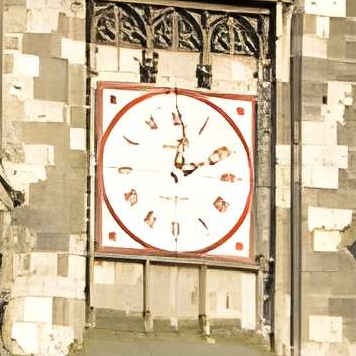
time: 2:01
